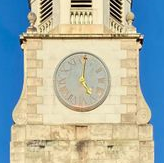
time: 5:01
